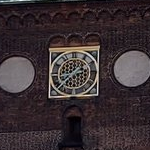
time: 8:37
